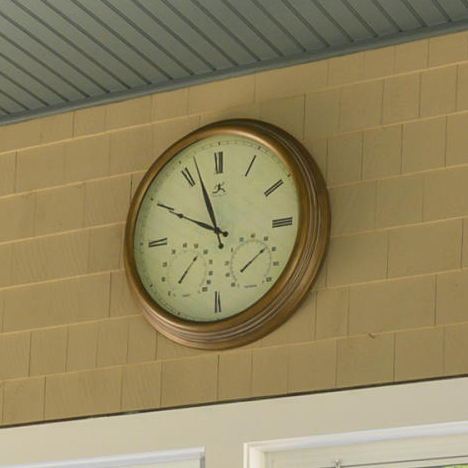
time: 9:56
